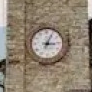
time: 3:04
